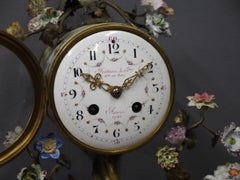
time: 10:08
